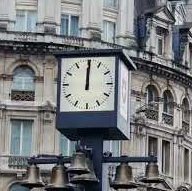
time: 12:00
